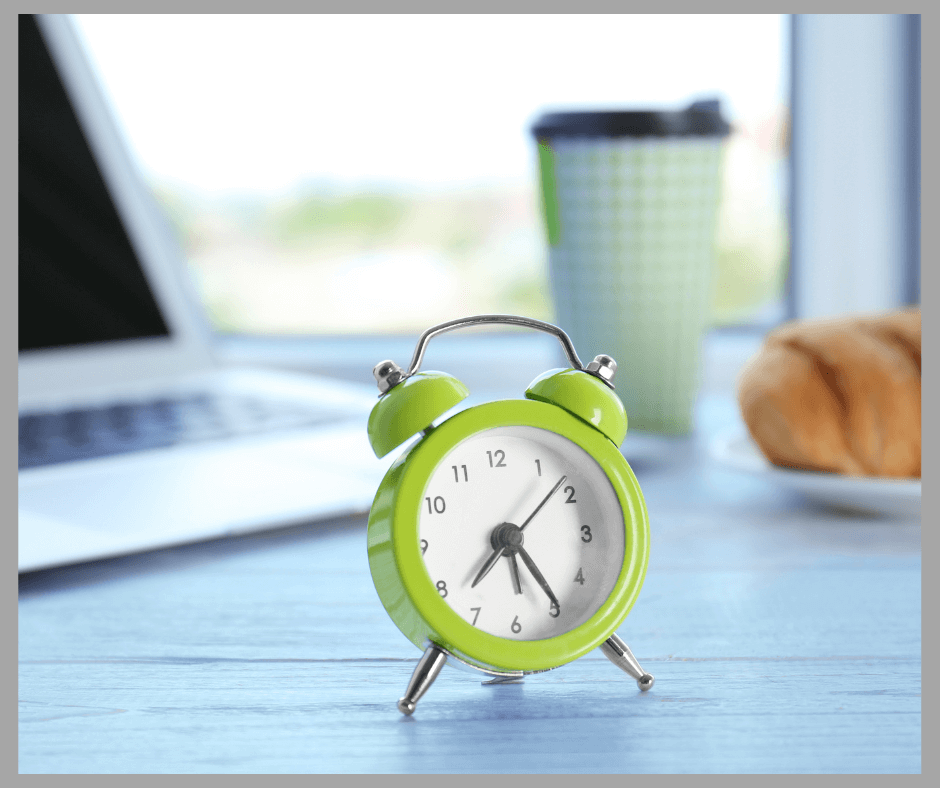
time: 7:24
